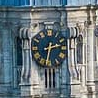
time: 2:32
